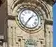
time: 1:36
